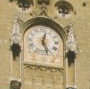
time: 12:27
